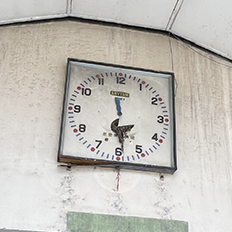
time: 5:28
